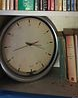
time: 3:42
